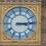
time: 3:14
